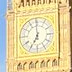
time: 6:59
